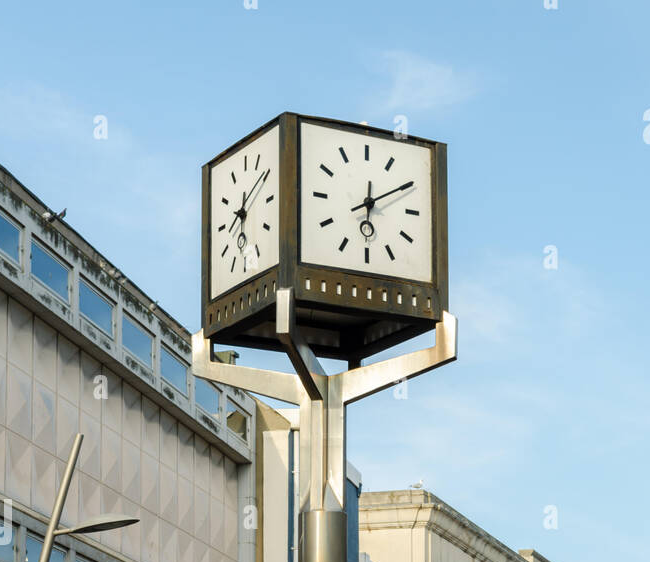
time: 6:10
